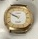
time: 9:50
